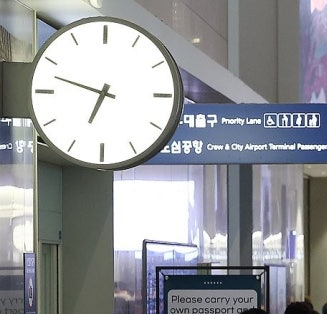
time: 6:47
